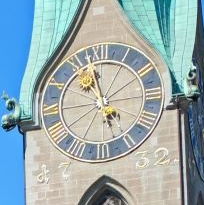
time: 4:57
